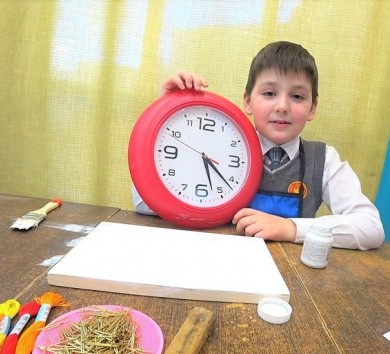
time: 5:21
